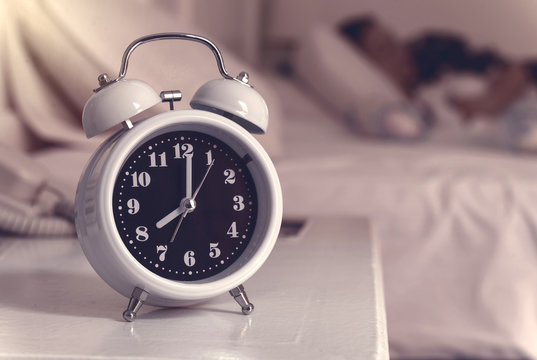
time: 8:01
